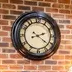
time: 2:21
